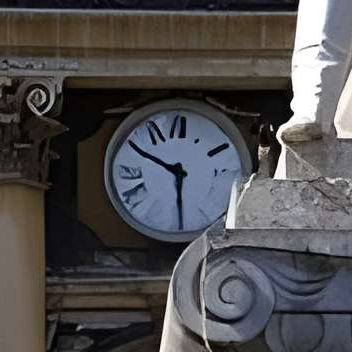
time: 5:49
